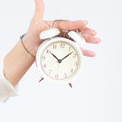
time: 10:07
